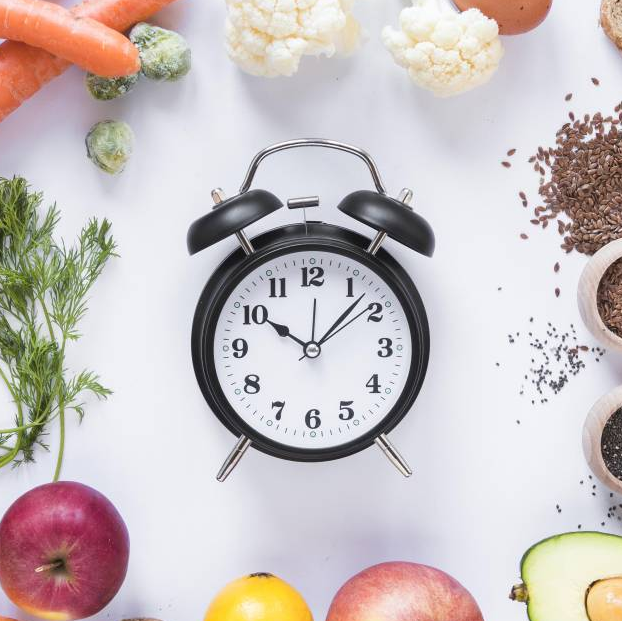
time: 10:07
